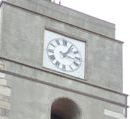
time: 1:16
